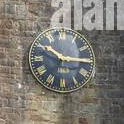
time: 10:15
